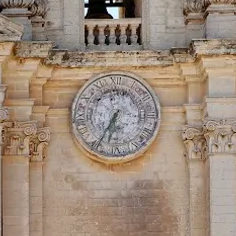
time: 6:34
